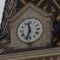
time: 11:33
